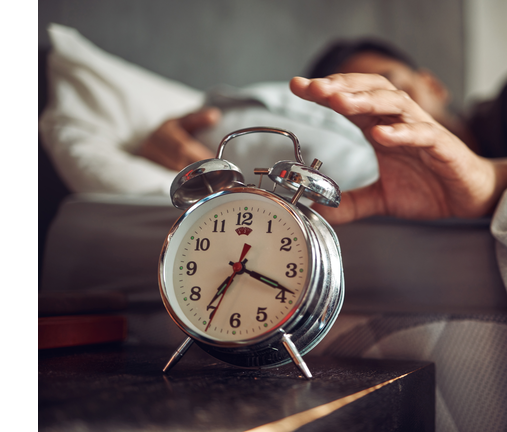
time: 7:18
